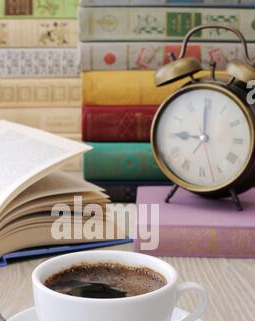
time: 9:00
